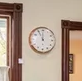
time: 11:55
